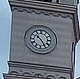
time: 10:24
